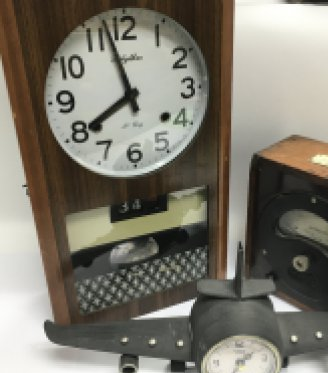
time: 7:57
